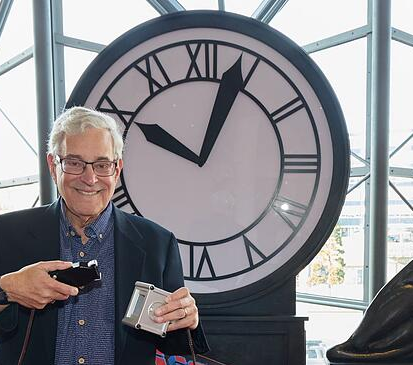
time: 10:03
